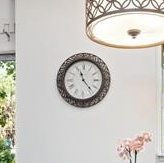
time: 11:22
